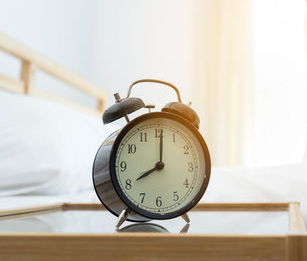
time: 8:00
